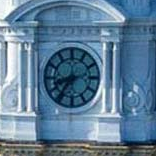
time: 8:36
